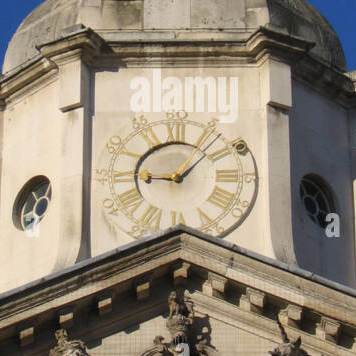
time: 9:07
